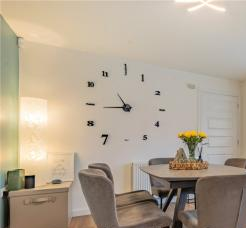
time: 10:44
